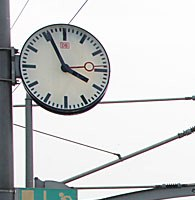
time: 3:55
